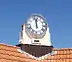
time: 11:57
